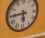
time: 5:44
